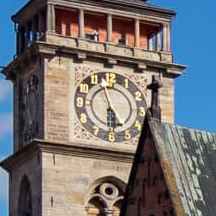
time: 5:57
